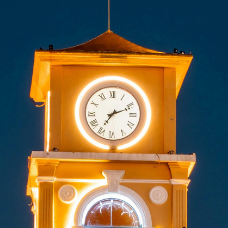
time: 7:11
